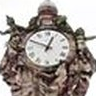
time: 12:49
